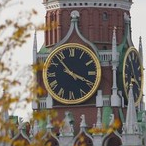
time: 3:53
